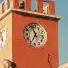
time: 6:56
